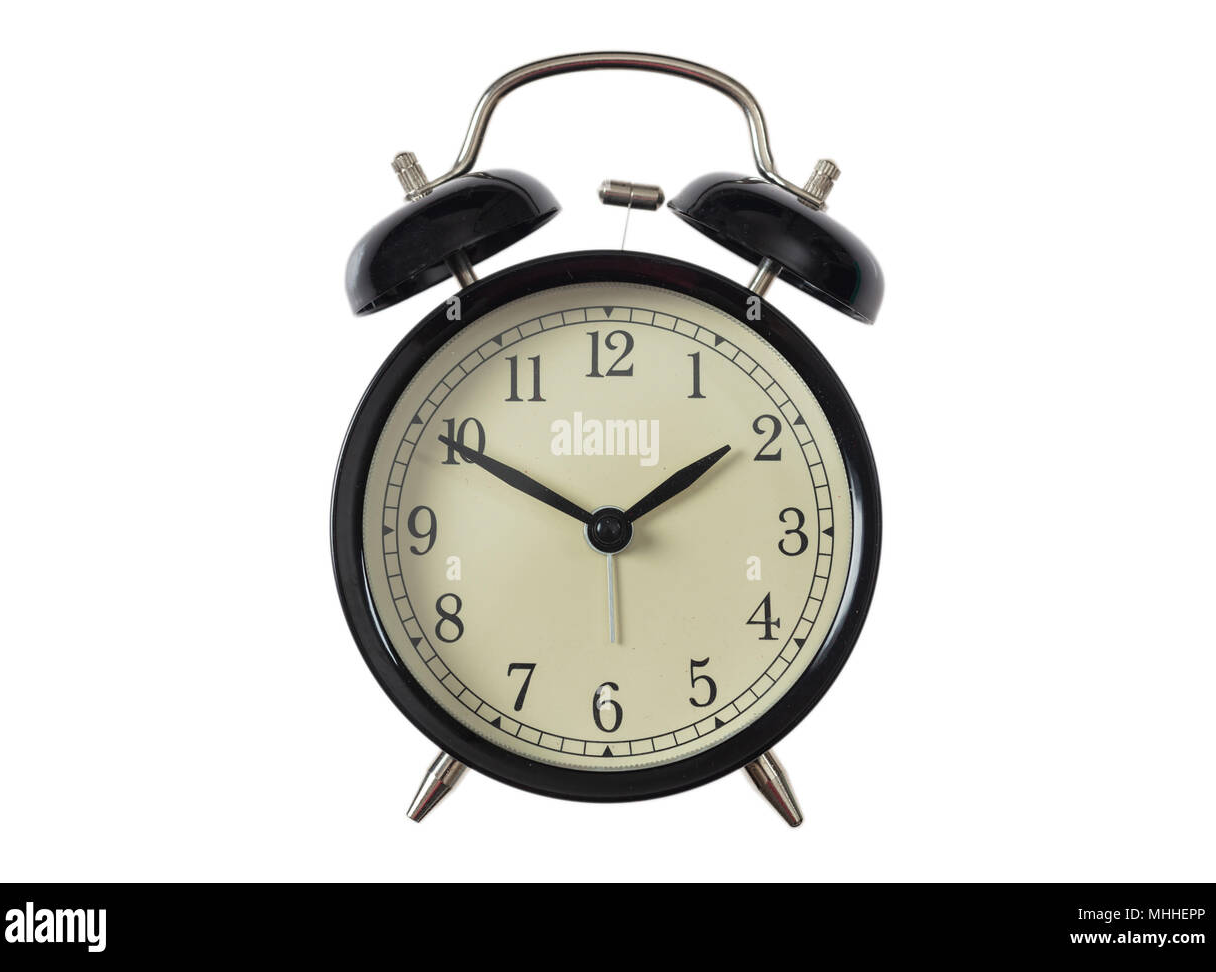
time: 1:50
